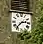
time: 2:36
